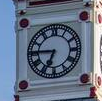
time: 6:45
